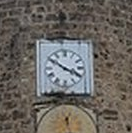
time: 3:50
